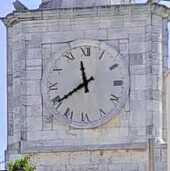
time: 11:39
